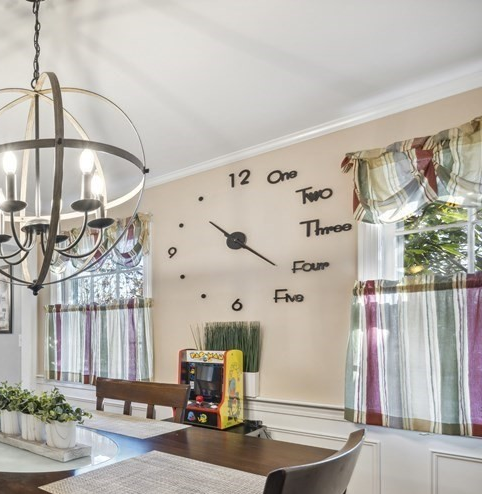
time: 10:21
